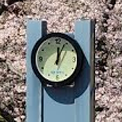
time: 12:04
